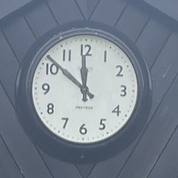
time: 11:51
